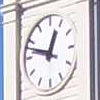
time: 12:47
